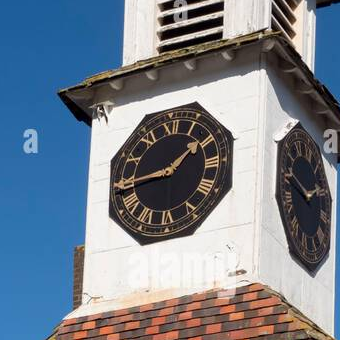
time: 1:44
